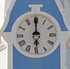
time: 5:59
